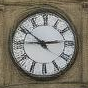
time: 2:50
